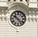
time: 10:23
